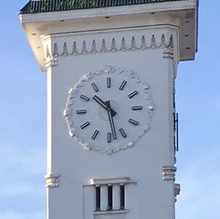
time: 10:28
